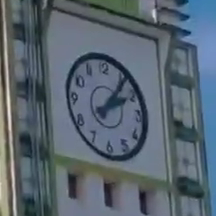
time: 2:06
